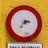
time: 2:36
